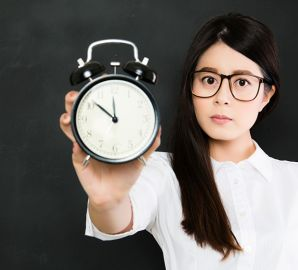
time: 11:51
